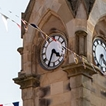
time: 4:34
